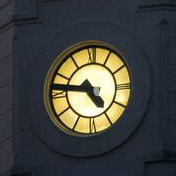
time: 4:46
